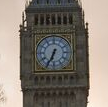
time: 6:34
